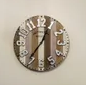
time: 12:36
